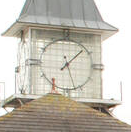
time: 1:26
